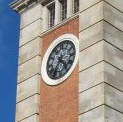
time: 4:35
